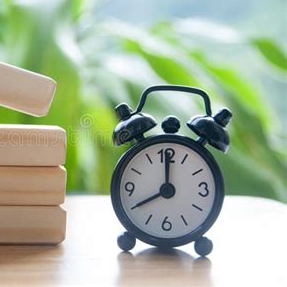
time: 8:00
